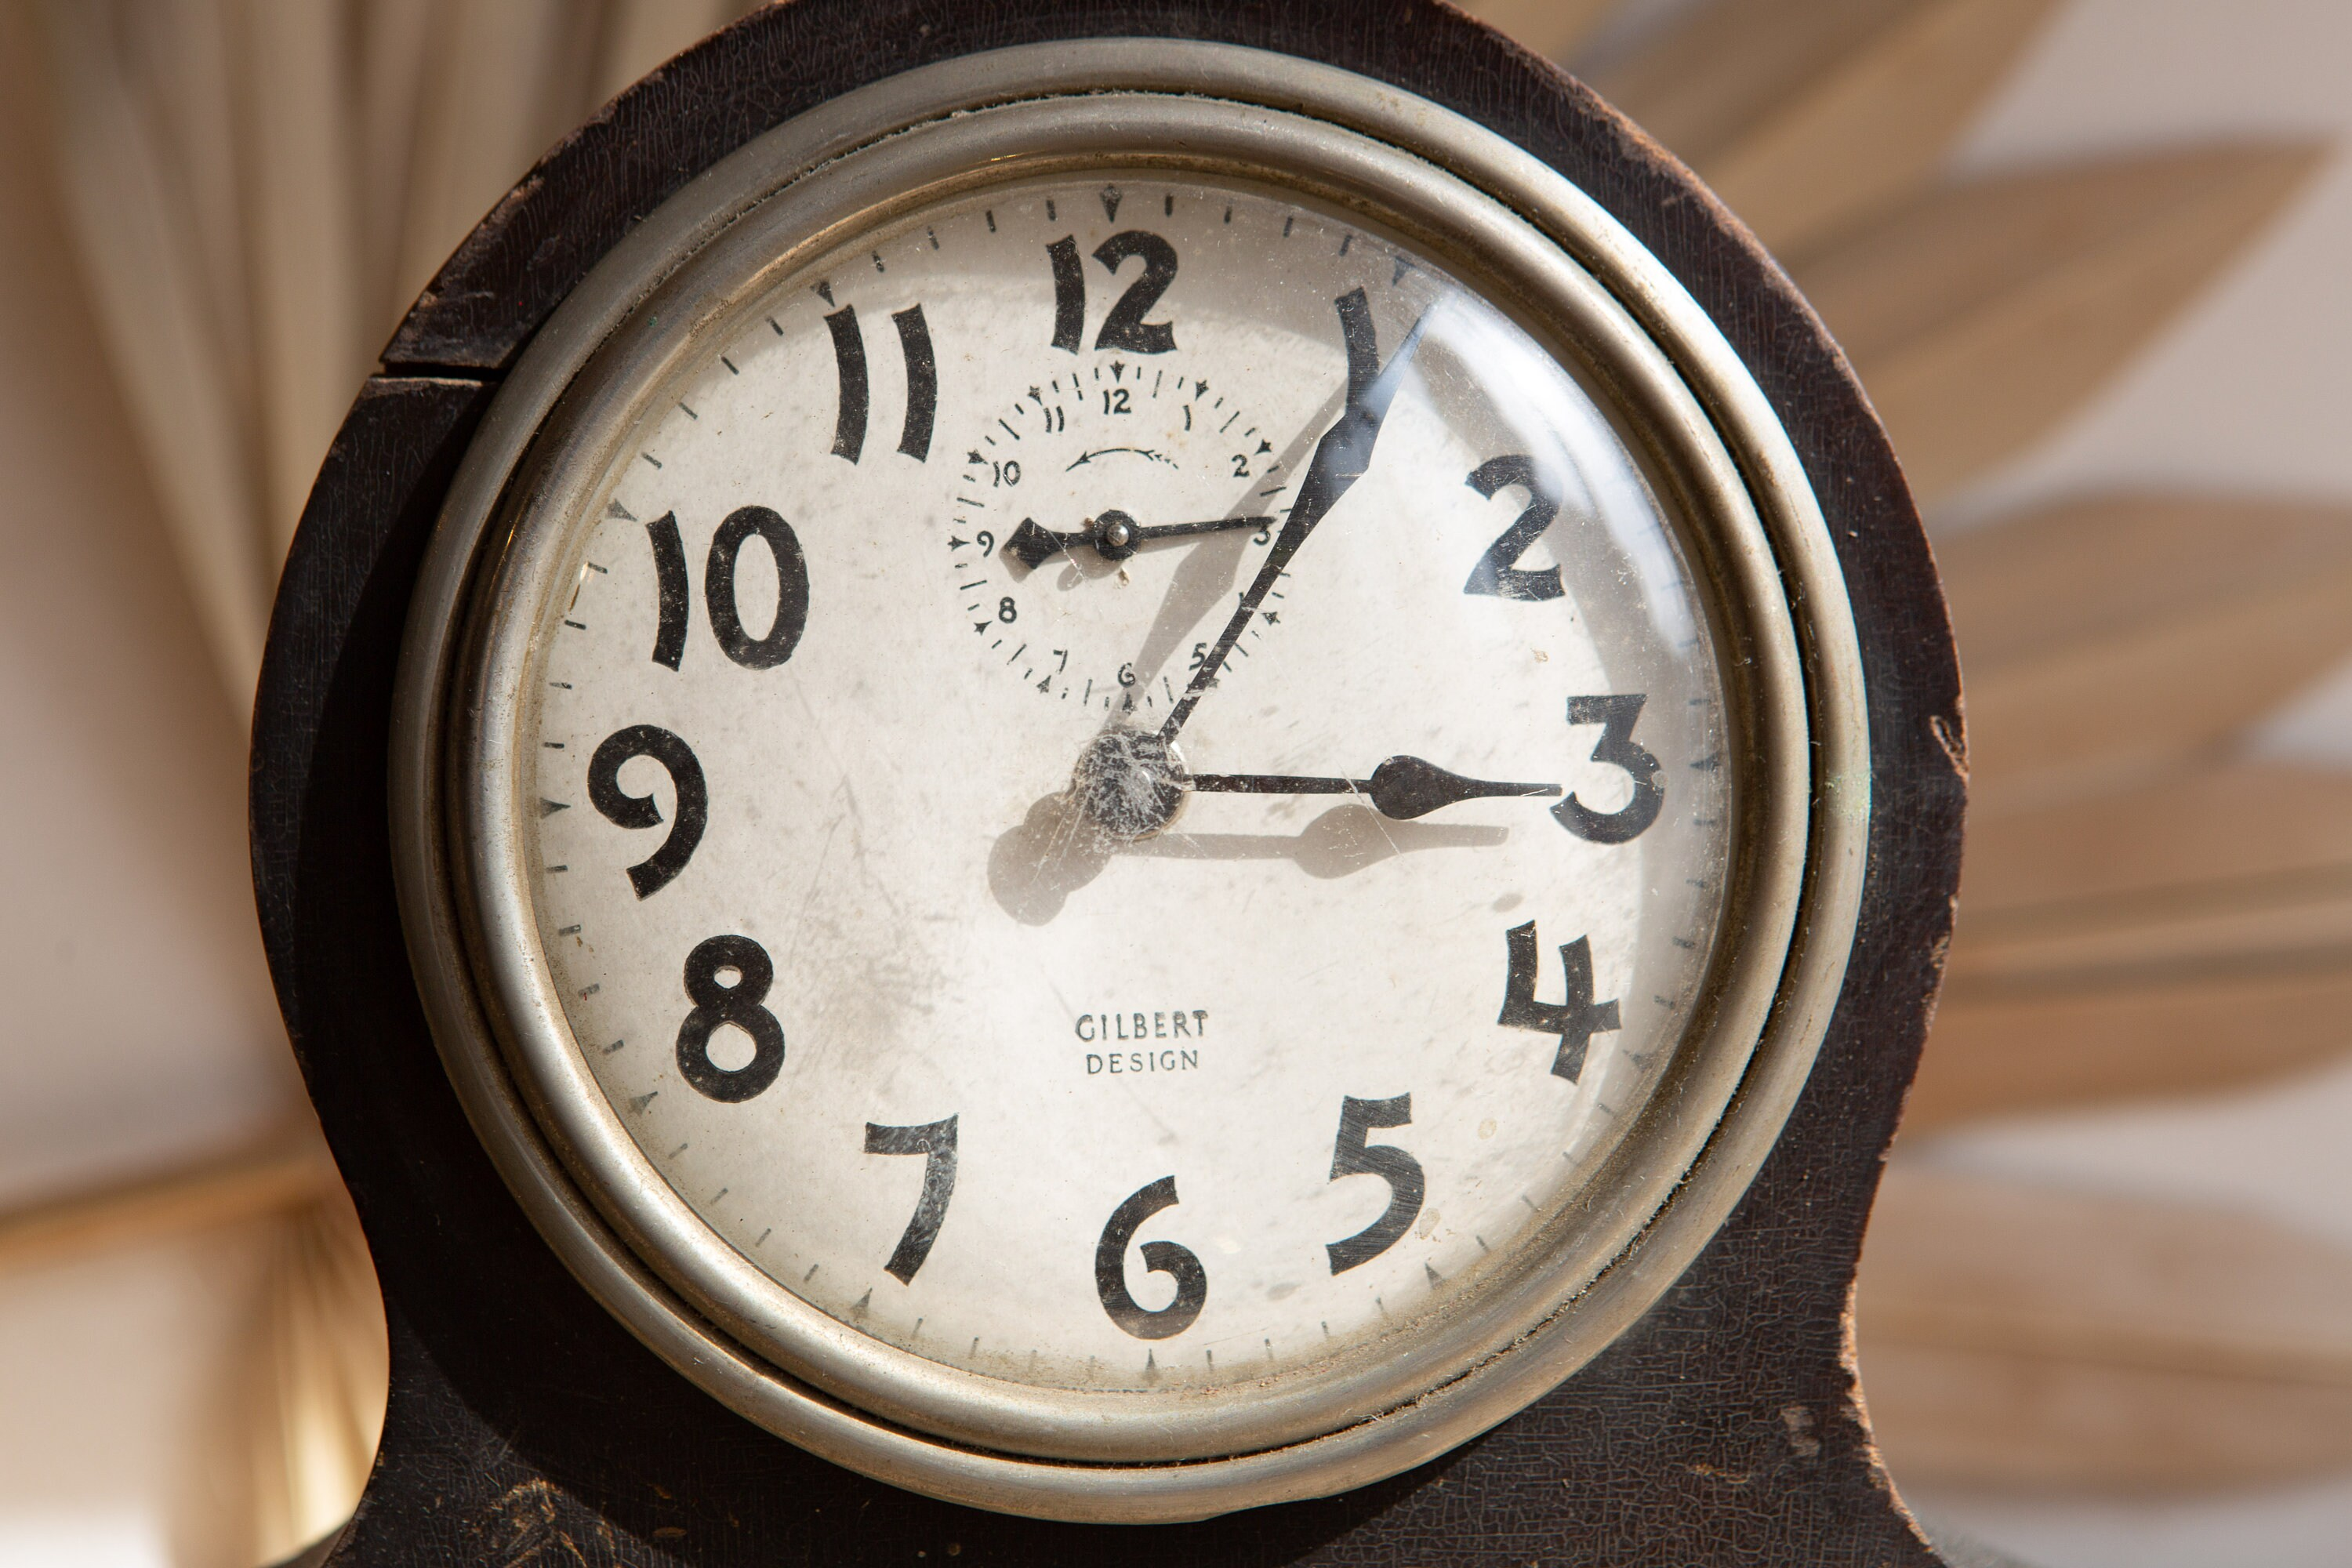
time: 3:06
